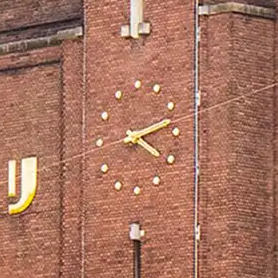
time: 4:12
